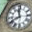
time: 11:41
